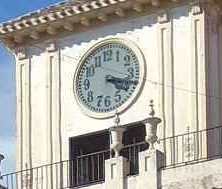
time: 4:18
